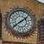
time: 1:39
